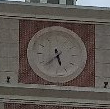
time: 5:37
